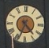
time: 4:34
